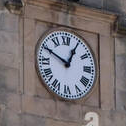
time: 12:49
